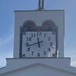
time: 11:42
